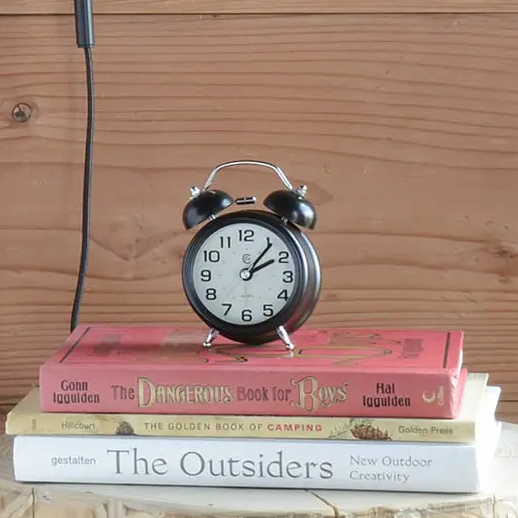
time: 2:06
